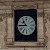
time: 10:44
